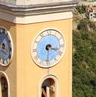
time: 3:30
